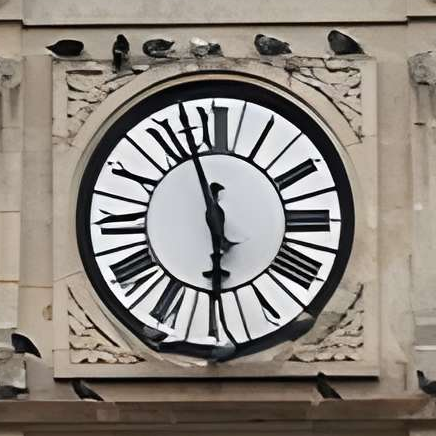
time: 5:57
